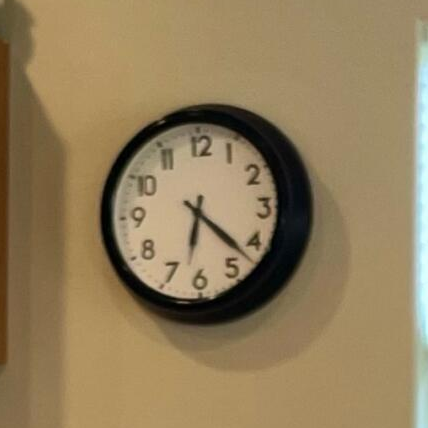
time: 6:22
